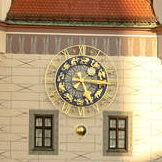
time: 5:15
